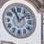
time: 11:08
